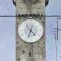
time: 4:33
